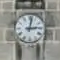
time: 3:02
